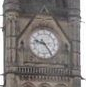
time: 9:24
